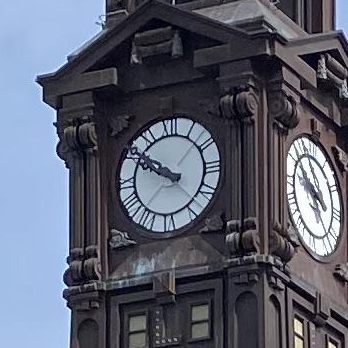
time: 9:50
